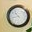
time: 10:42
